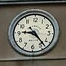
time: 9:23
